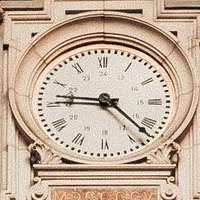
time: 9:22
